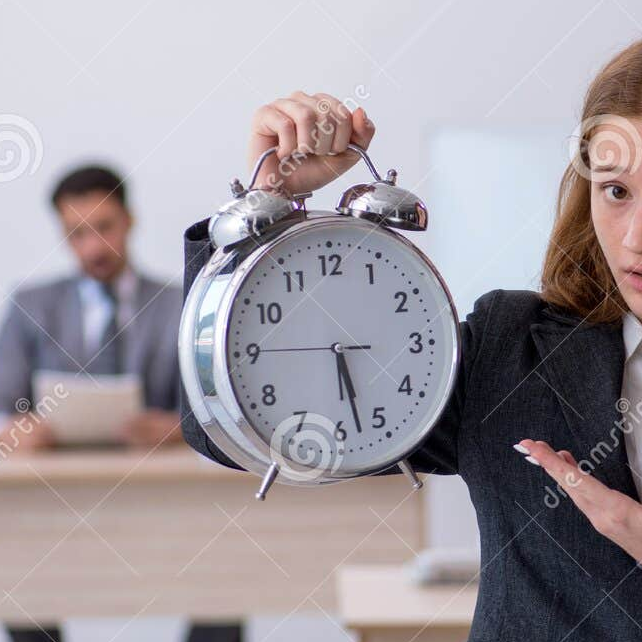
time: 5:27
